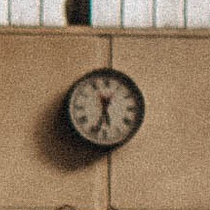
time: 5:33
